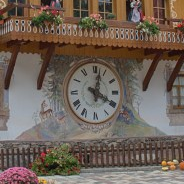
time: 4:02
